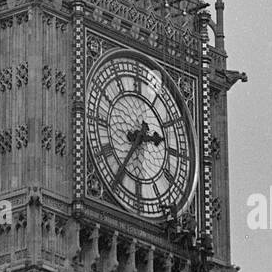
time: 2:36
